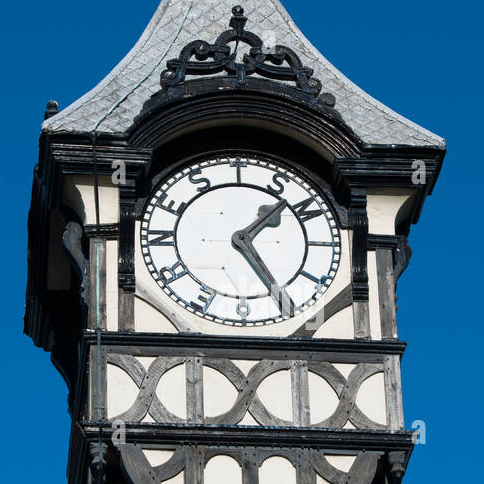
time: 1:24
